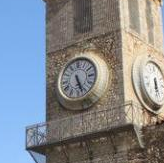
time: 5:26
